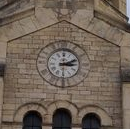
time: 3:11
